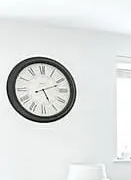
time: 5:11
